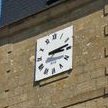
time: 3:13
